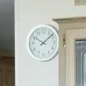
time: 10:08
